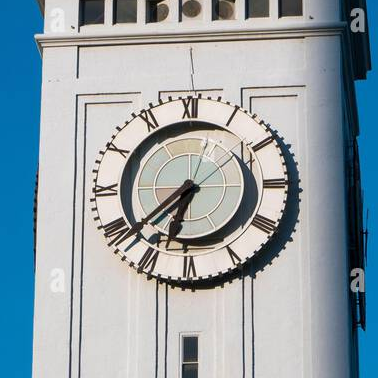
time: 6:38
